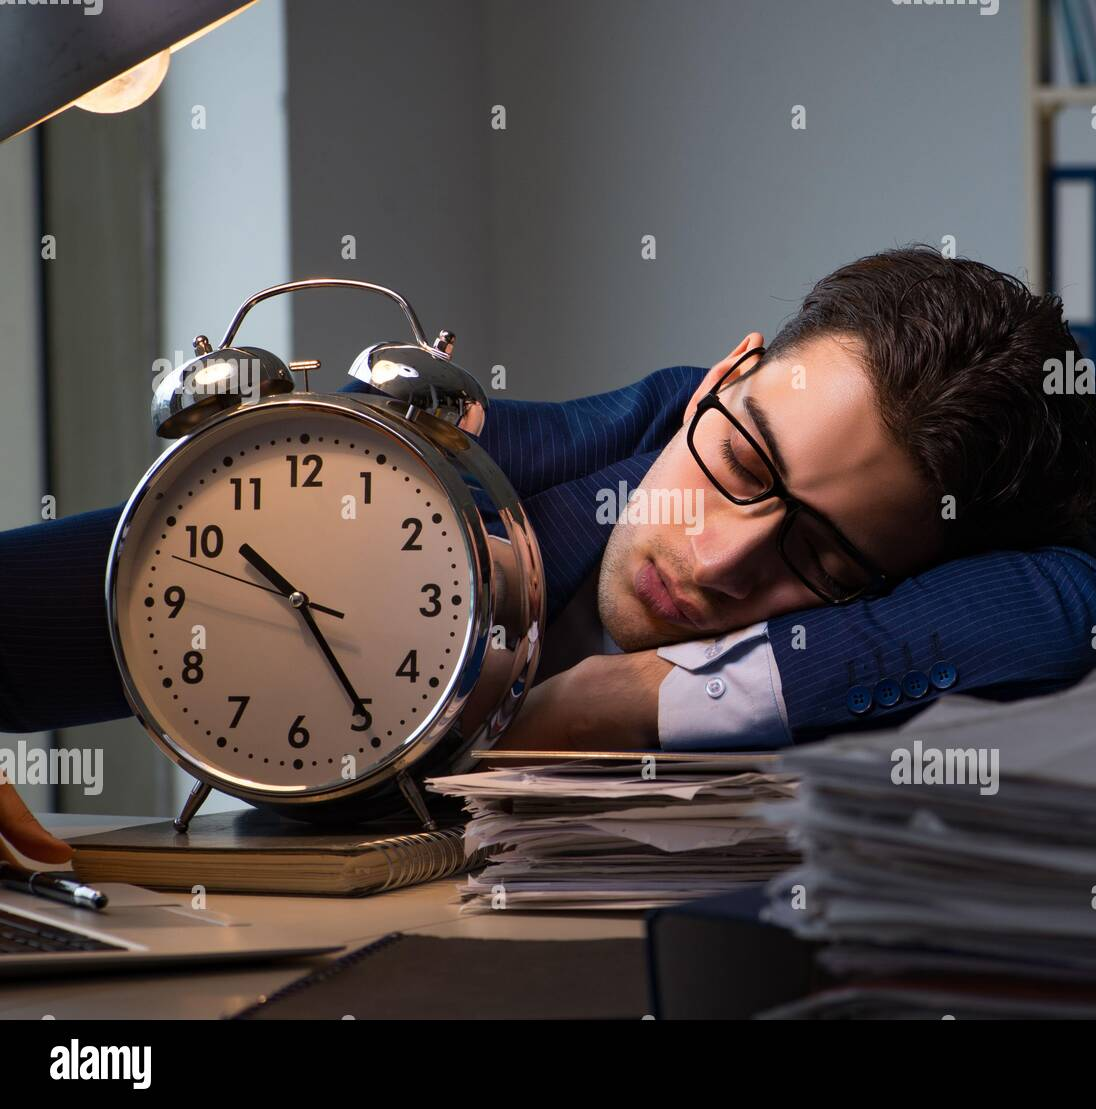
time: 10:24
